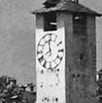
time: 7:58
